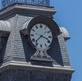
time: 3:37
